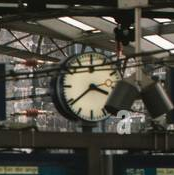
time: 3:38
